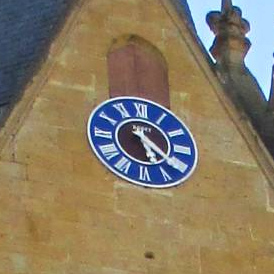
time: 5:20
